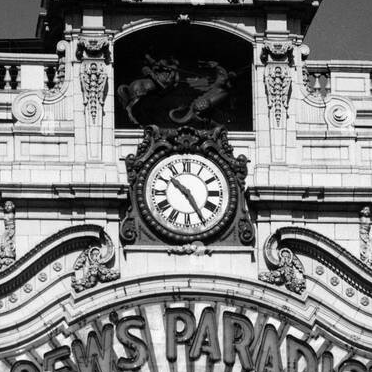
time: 10:24
